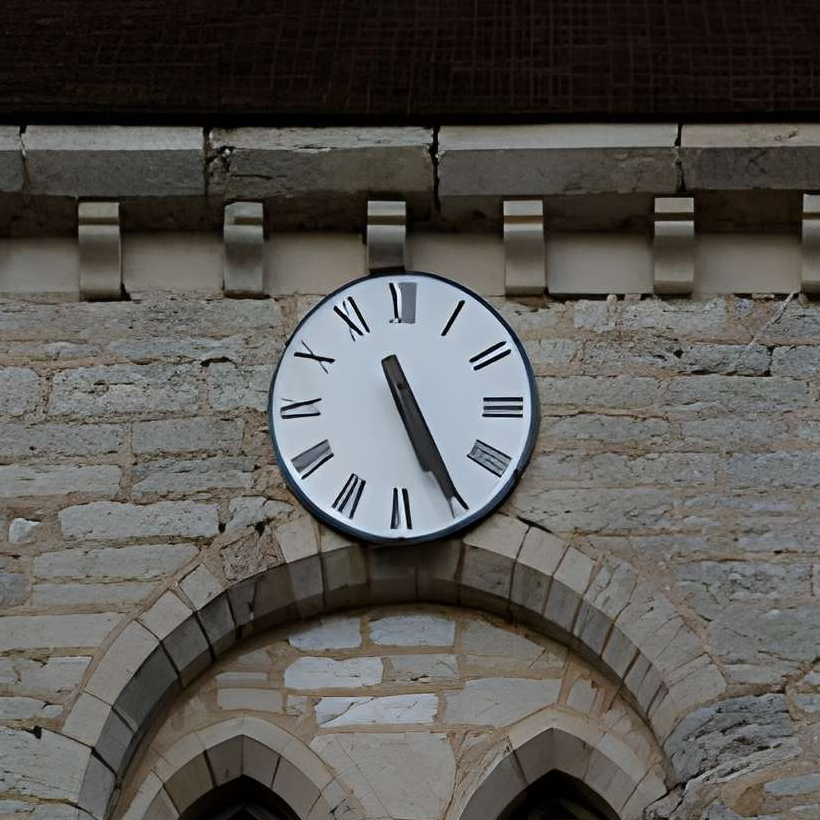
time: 11:25
